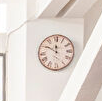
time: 11:50
